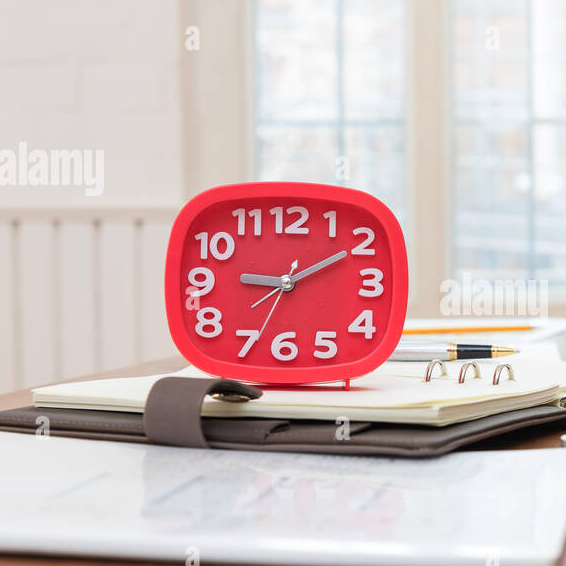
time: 9:10
